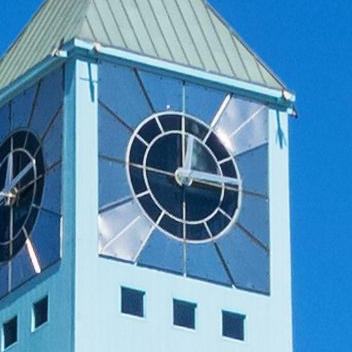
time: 12:14
